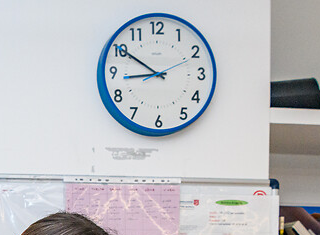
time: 8:50
